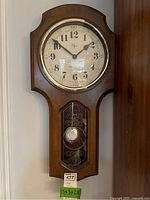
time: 1:51
